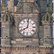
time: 8:01
